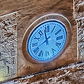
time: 11:40
